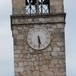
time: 5:29
